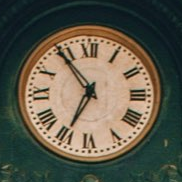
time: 6:54
